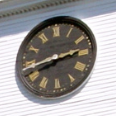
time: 2:42
